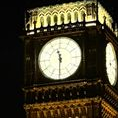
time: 11:30
